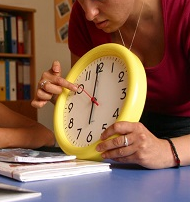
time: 5:59
